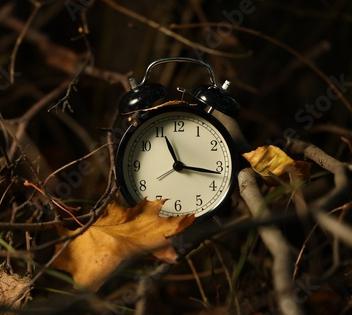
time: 11:16
